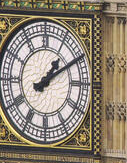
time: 1:09
